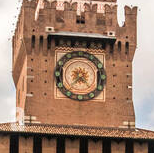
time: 4:37
